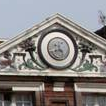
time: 4:42
